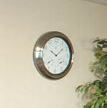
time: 10:07
